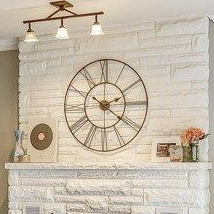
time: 2:21
